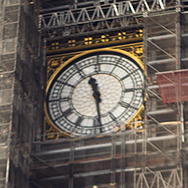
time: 11:28
